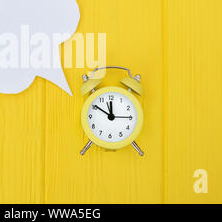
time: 11:50
